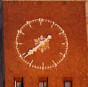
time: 1:38
